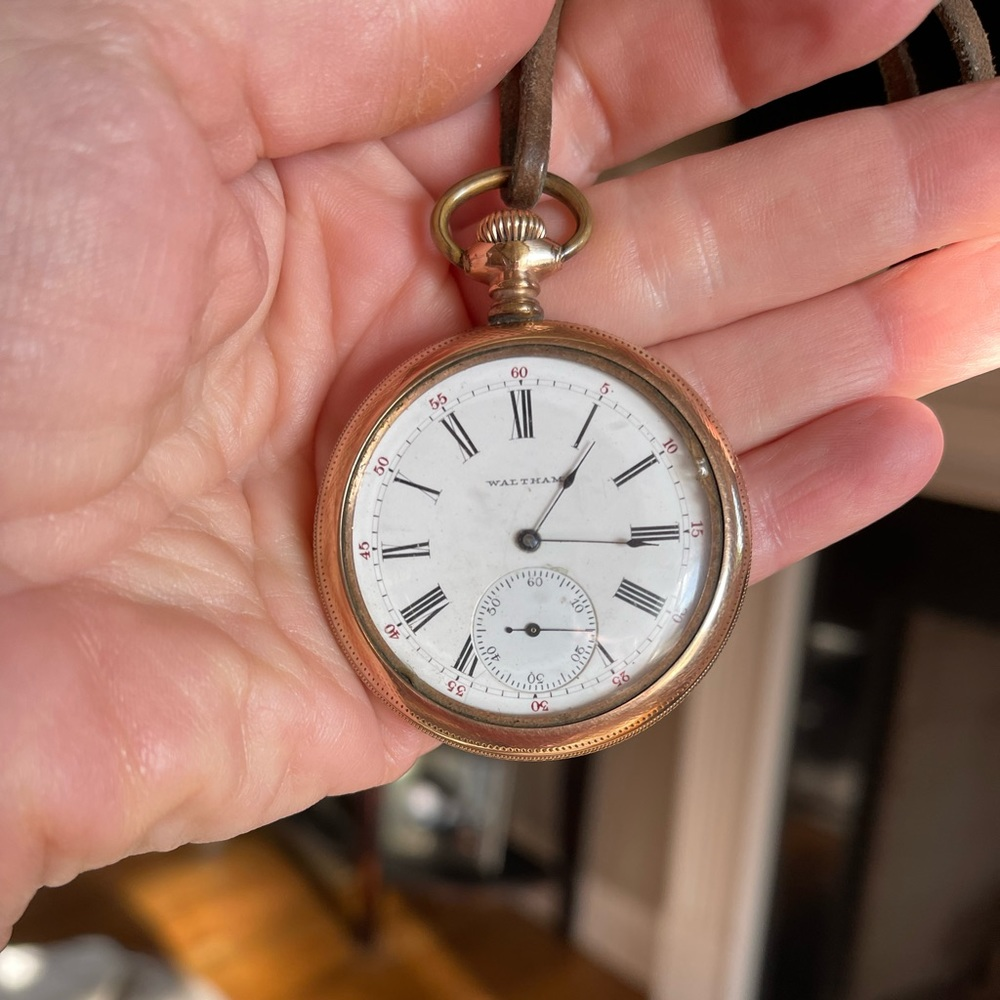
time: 1:15
